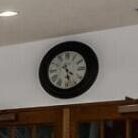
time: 4:28
